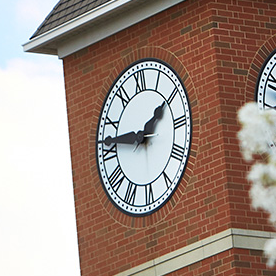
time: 1:46
